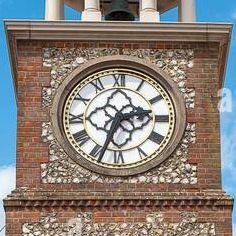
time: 2:33
